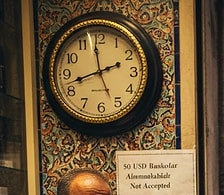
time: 11:42
